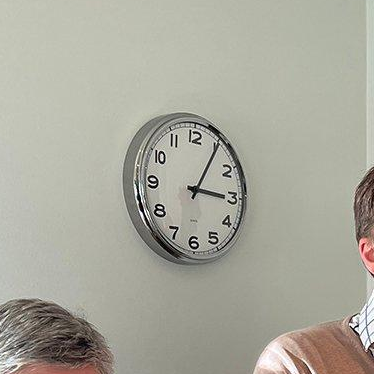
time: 3:05
